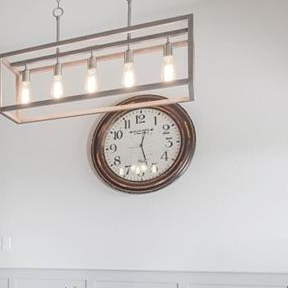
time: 12:27
